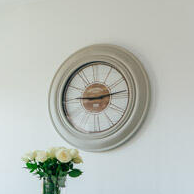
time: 9:13
